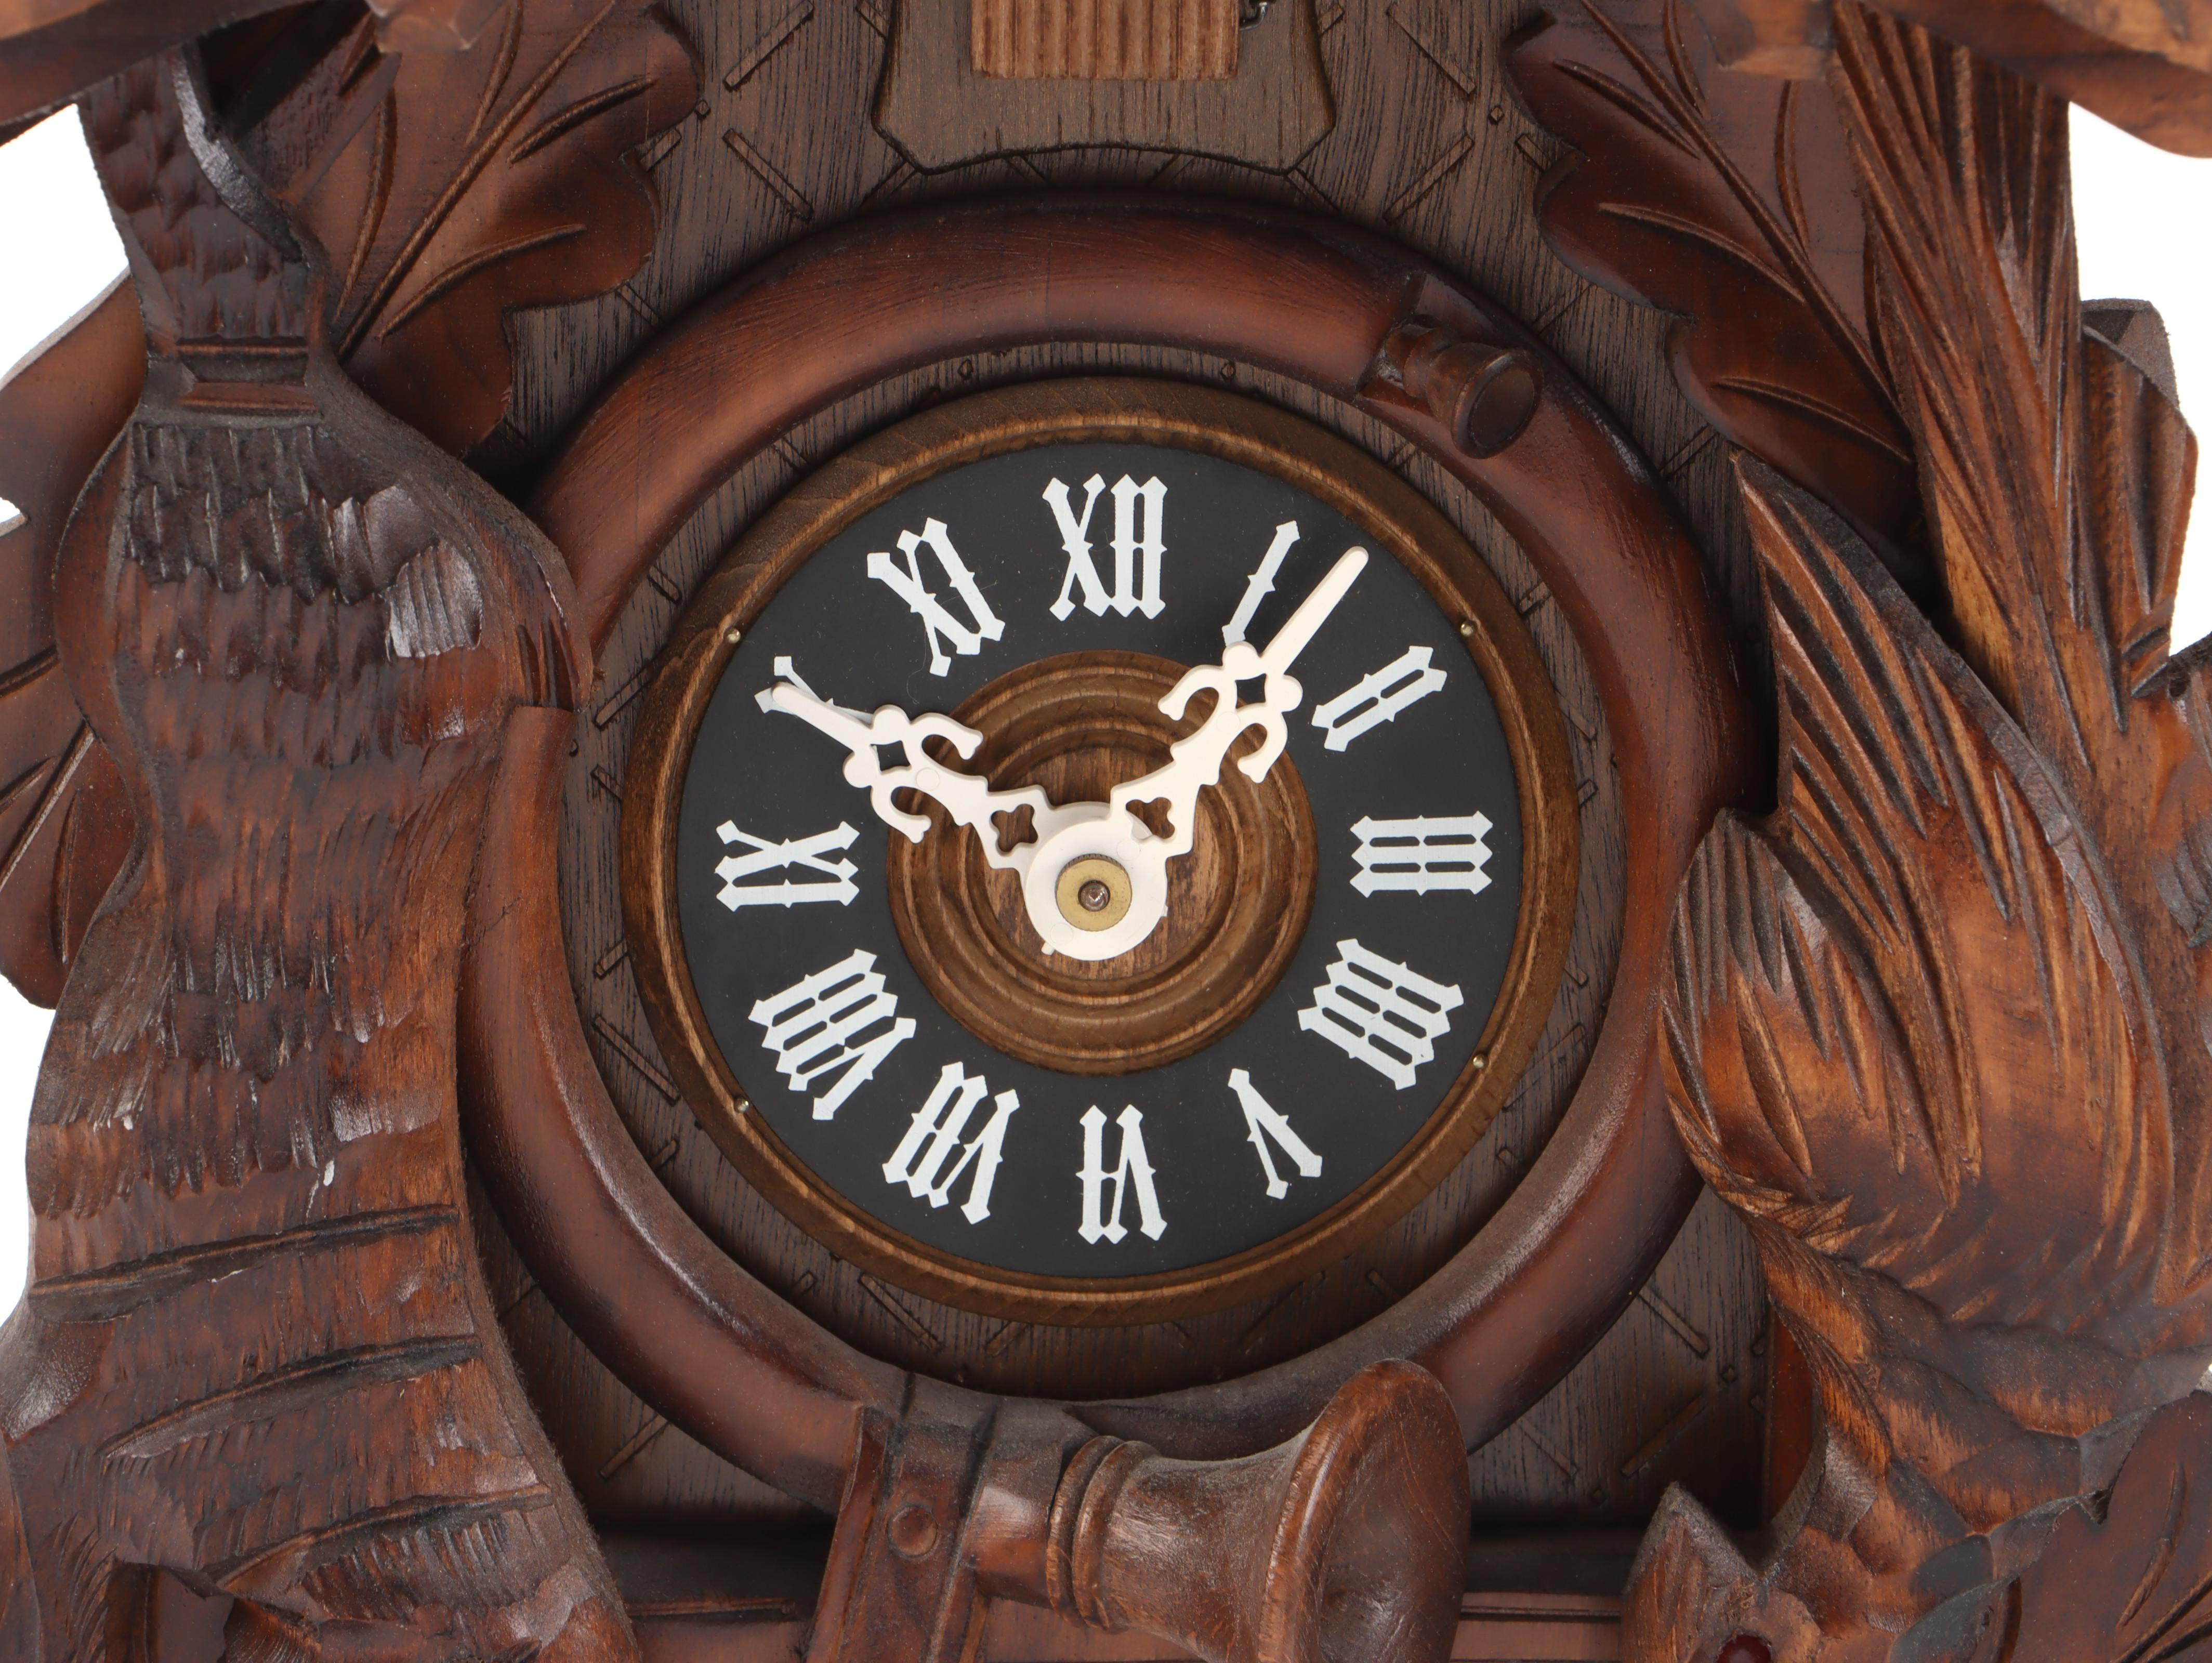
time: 10:06
